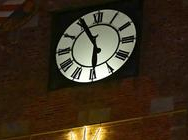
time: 5:55
